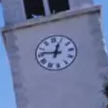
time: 12:46
